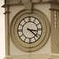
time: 3:22
